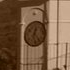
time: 12:23
